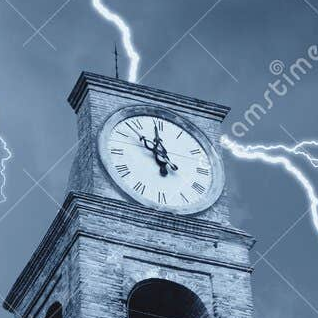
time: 11:52
